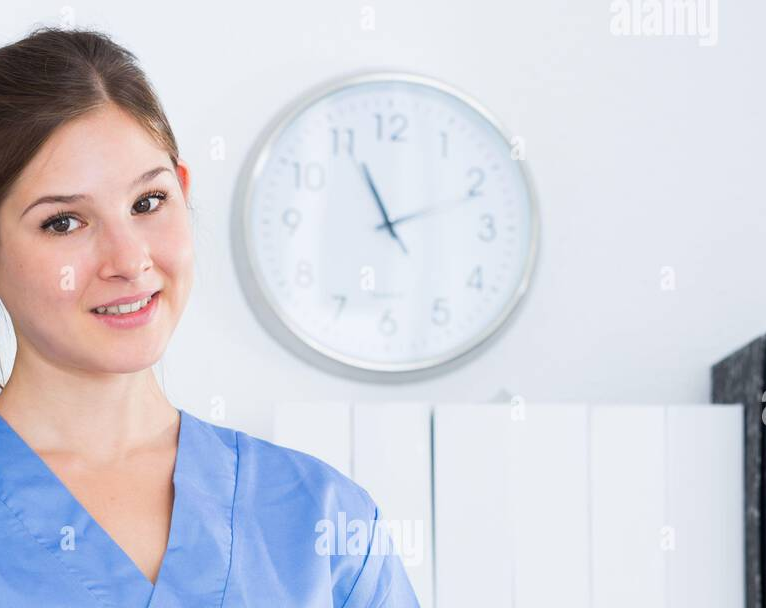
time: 11:11
